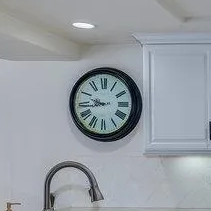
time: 9:43
